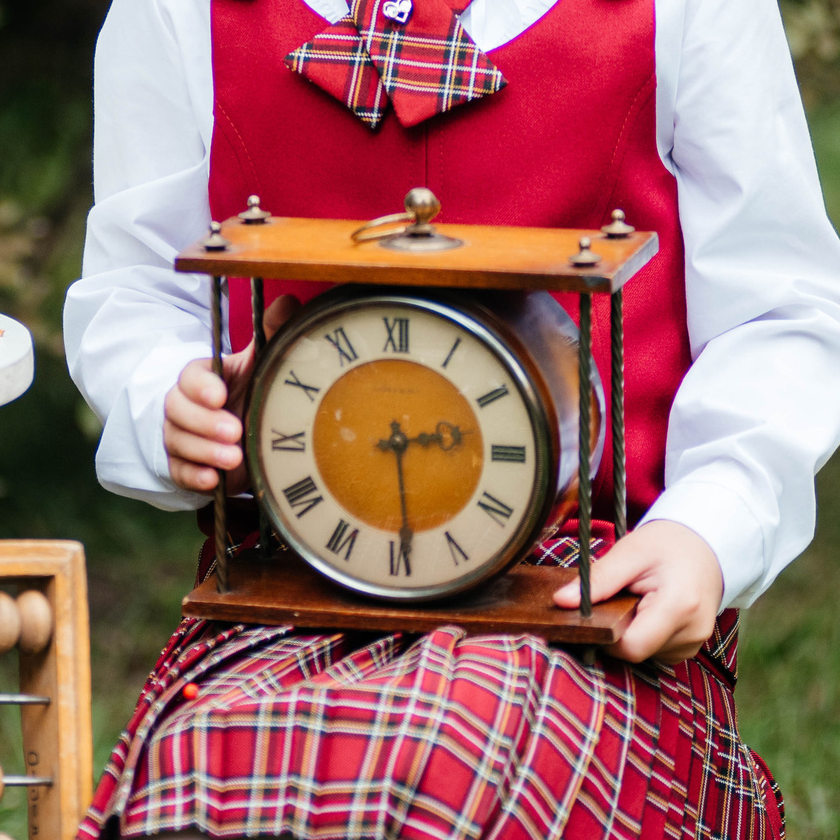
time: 2:29
